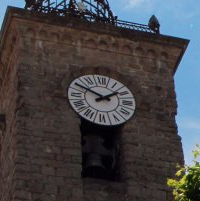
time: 1:50
